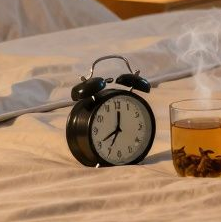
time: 8:01
